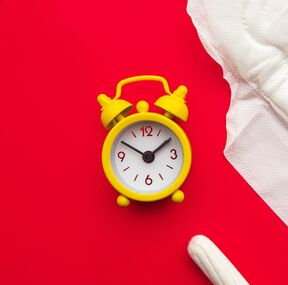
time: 1:50
